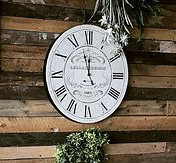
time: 11:57
